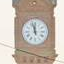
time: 11:57
